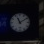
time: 11:09
